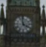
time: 3:58
